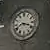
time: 8:18
